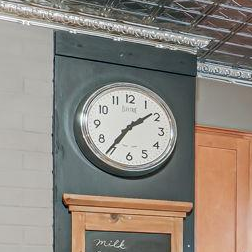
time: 1:35
